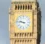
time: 9:46
